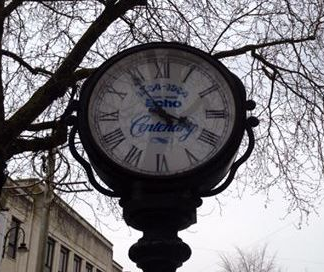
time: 3:54
